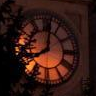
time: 8:01
